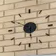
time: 5:50
